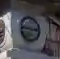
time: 2:46
